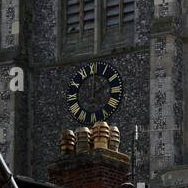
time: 2:01
